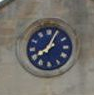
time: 8:04
